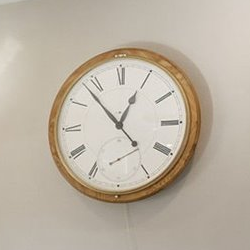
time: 12:53
